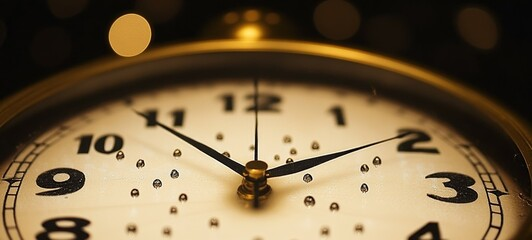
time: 1:53
